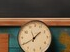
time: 1:39
